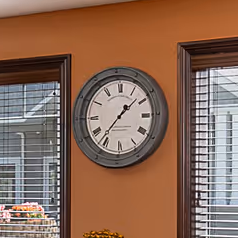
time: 1:36
